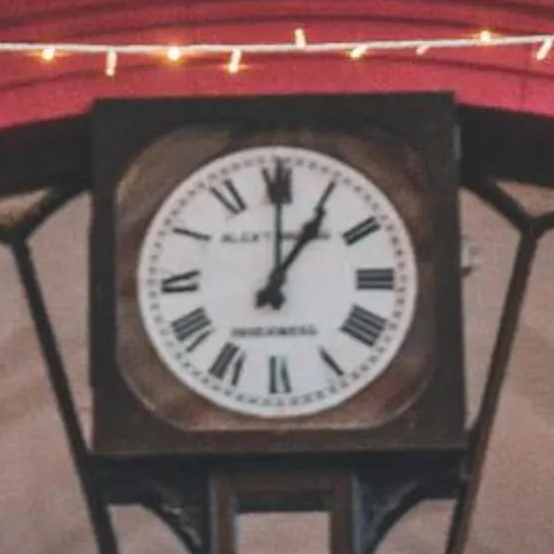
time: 1:00
